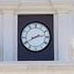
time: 2:40
